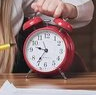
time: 9:35
